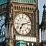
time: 7:12
